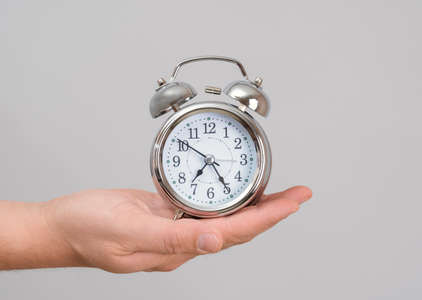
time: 7:24
